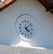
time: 4:07
